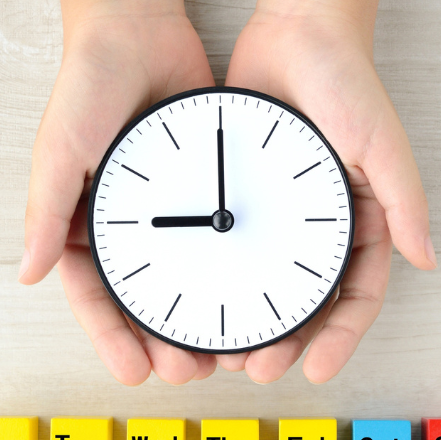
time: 8:59
